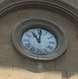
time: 11:01
